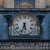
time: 5:33
